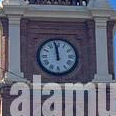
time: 11:58
